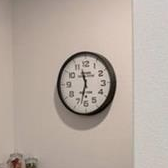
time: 11:32
